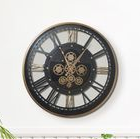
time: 11:05
